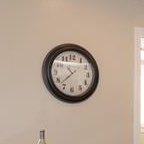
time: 10:37
